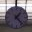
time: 1:22
